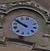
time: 9:50
